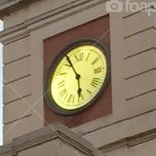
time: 5:55
